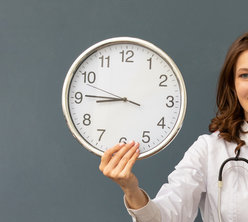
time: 8:45
